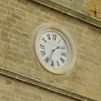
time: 1:33
